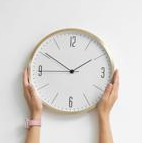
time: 1:50
